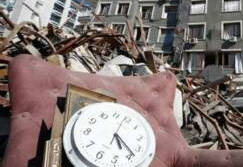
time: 5:23
